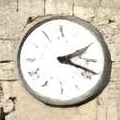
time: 2:18
